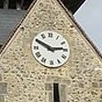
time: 2:49
